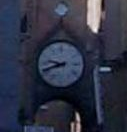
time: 9:42
